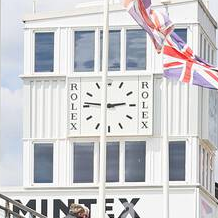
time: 2:46
